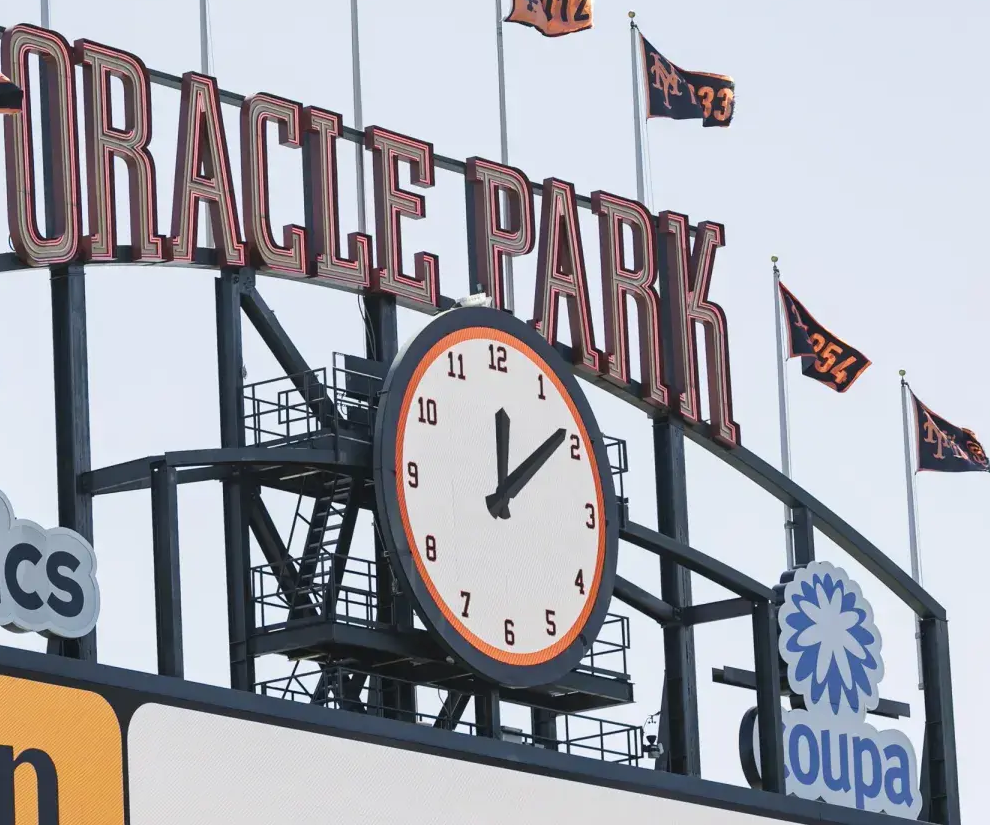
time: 12:08
